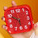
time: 5:49
